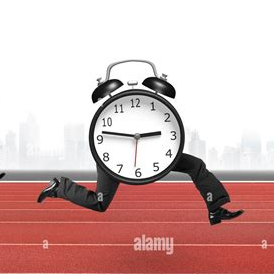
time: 2:46
